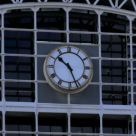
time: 10:26
